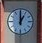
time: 1:00
